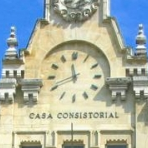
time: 11:41
